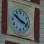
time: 10:18
